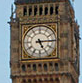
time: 5:14
